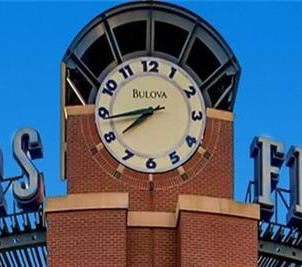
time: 7:43
